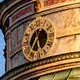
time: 5:35
